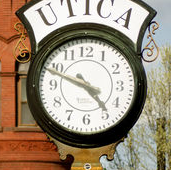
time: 4:48
